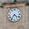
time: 4:35
